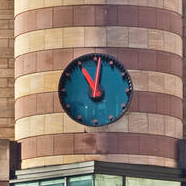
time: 11:01
